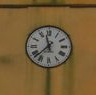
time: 11:37
